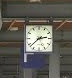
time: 2:38
